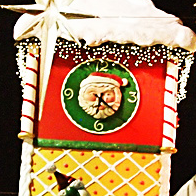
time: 6:21
